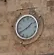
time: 1:40
